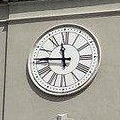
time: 11:45
